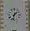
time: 1:32
